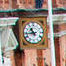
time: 10:43
